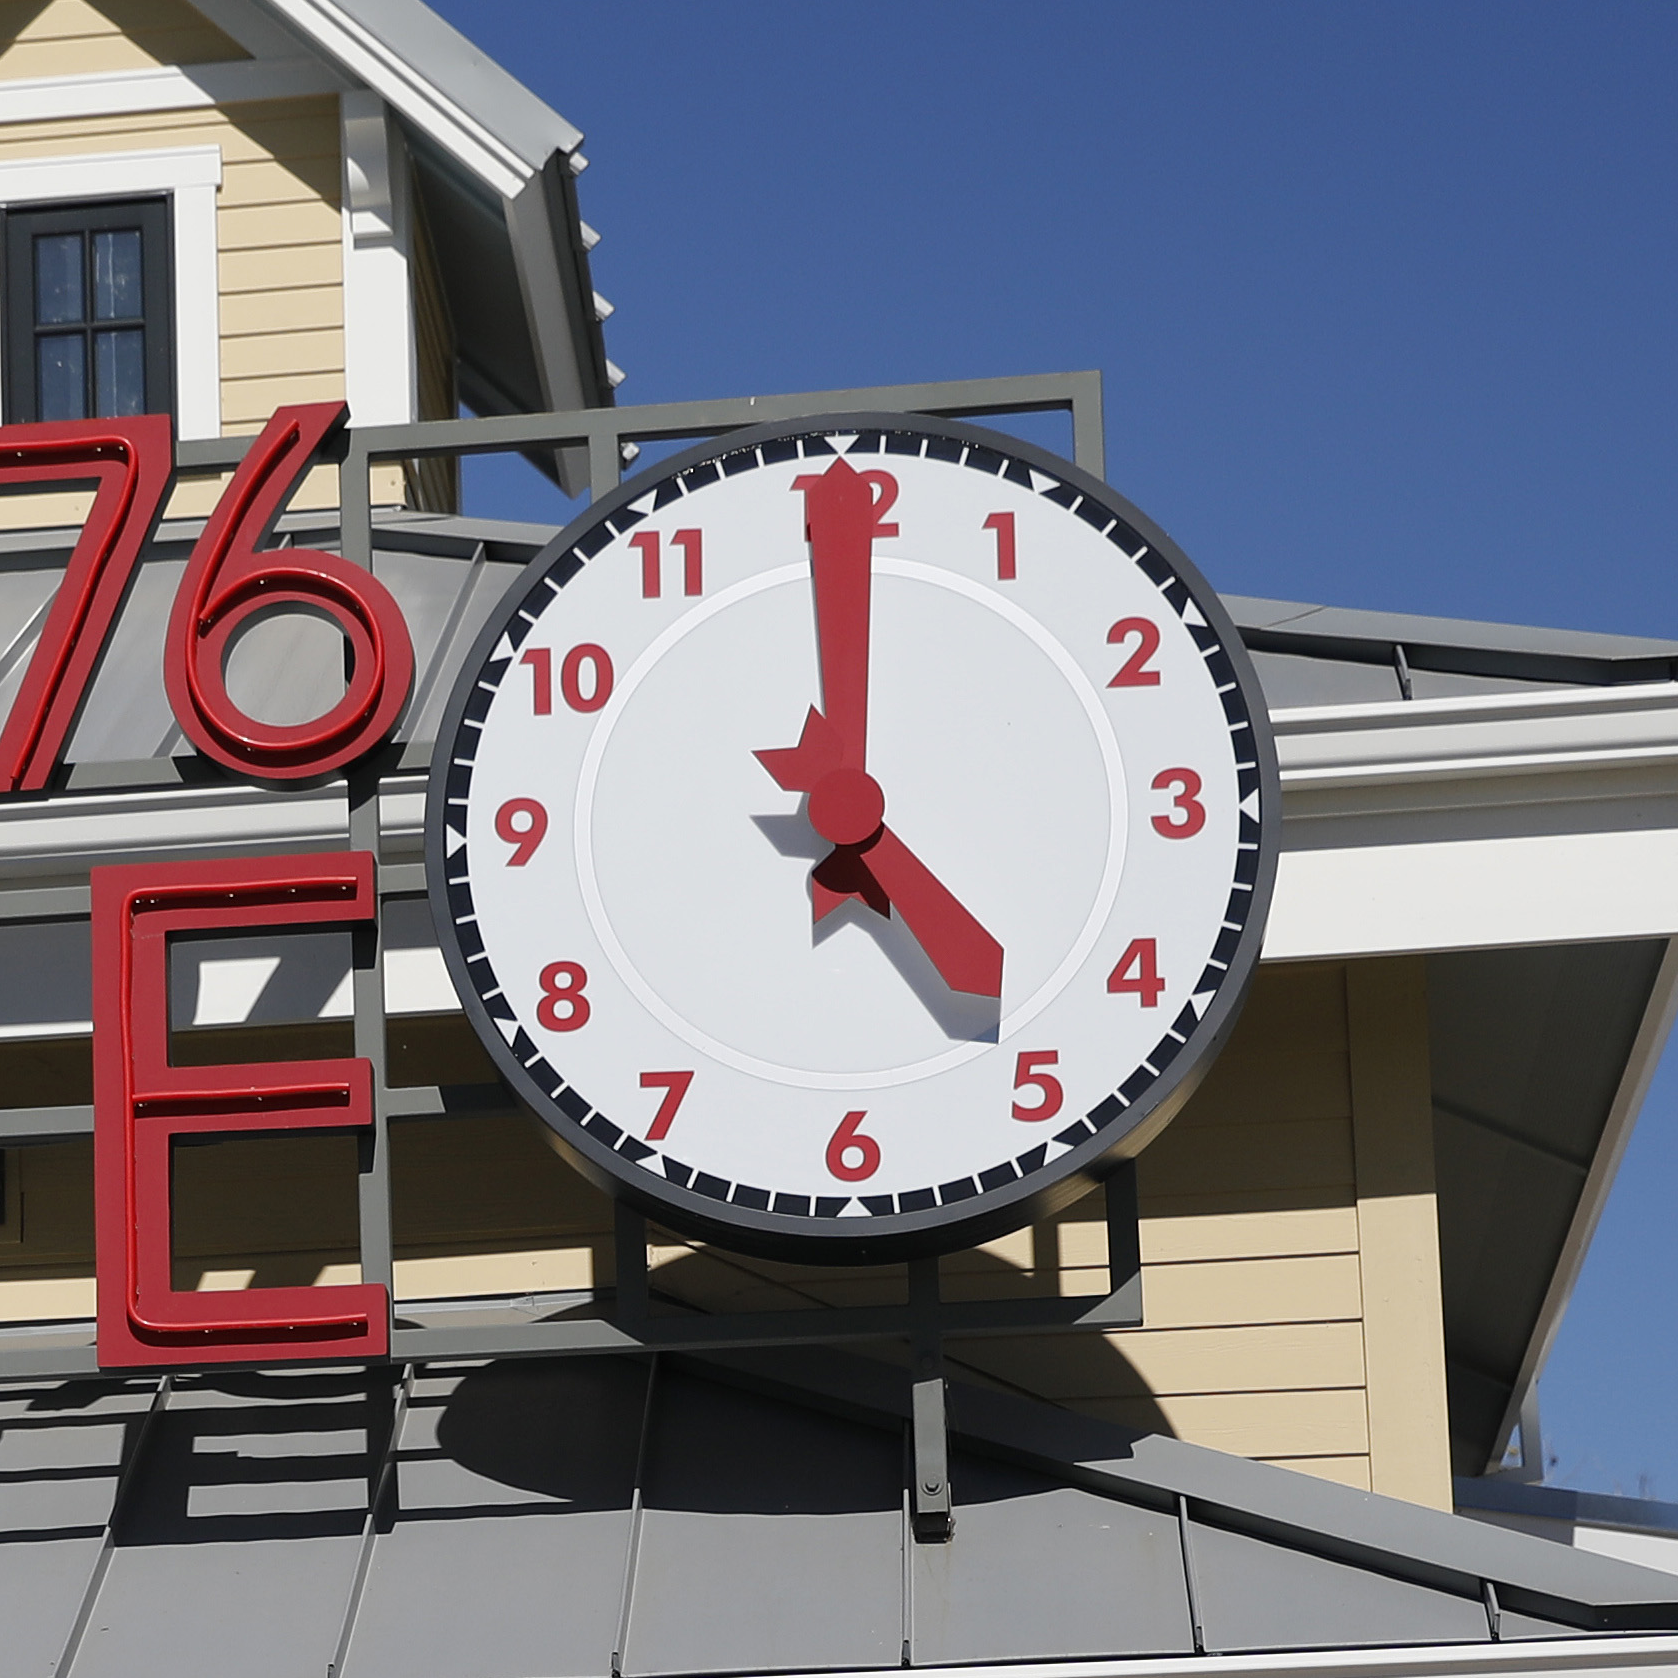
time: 5:00
